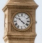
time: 10:21
